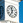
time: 11:35
